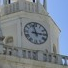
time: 2:57
